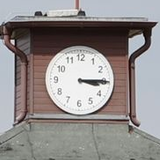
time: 3:14
